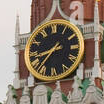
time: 8:36
